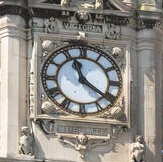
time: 11:21
